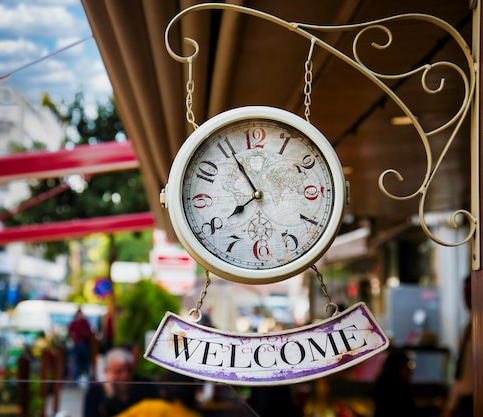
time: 7:55
